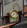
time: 12:37
